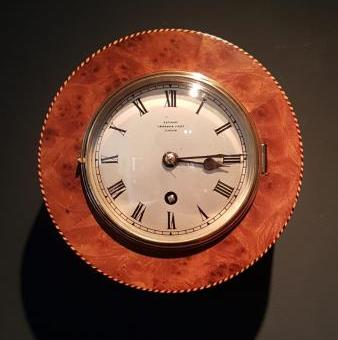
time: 3:14
